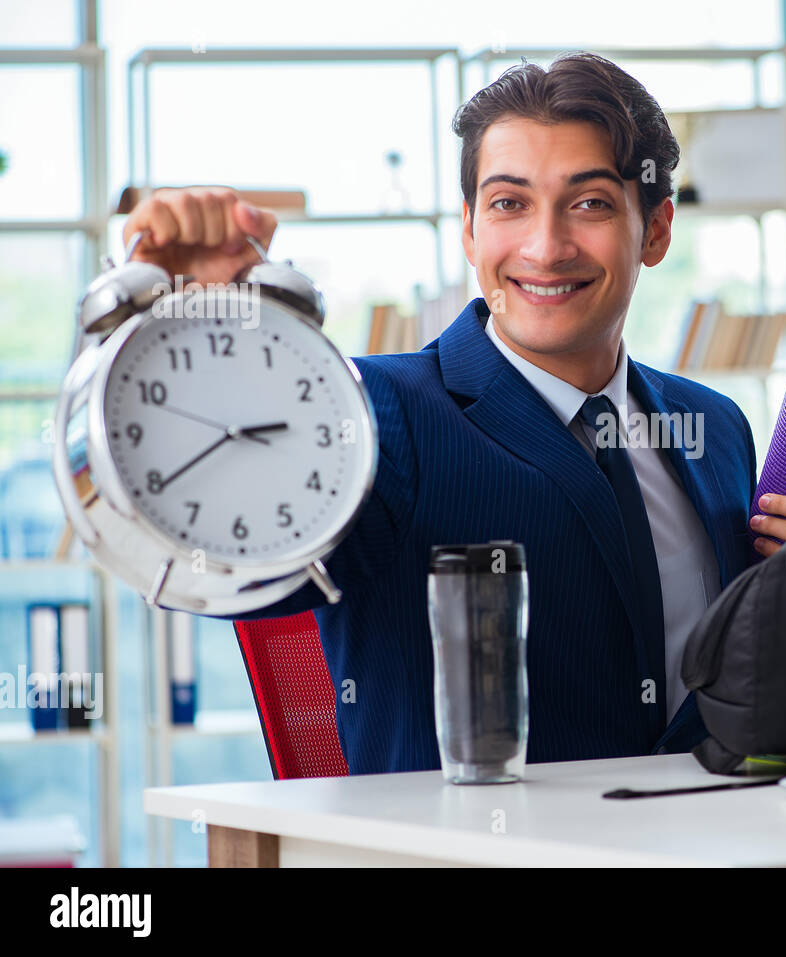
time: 2:39
